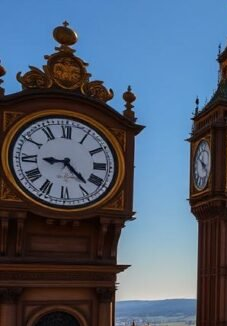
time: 9:22
